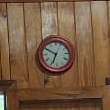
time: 6:49
